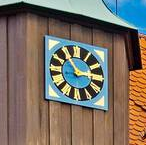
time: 2:54
